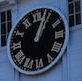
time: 1:03
